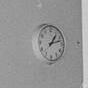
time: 1:12
